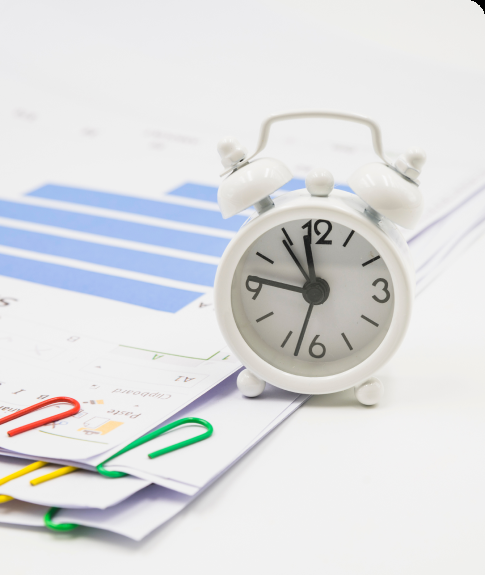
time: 11:46
